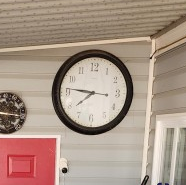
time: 7:46
